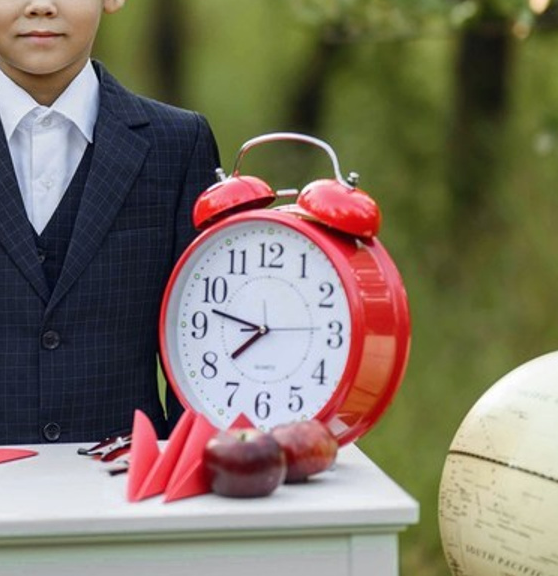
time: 7:47
